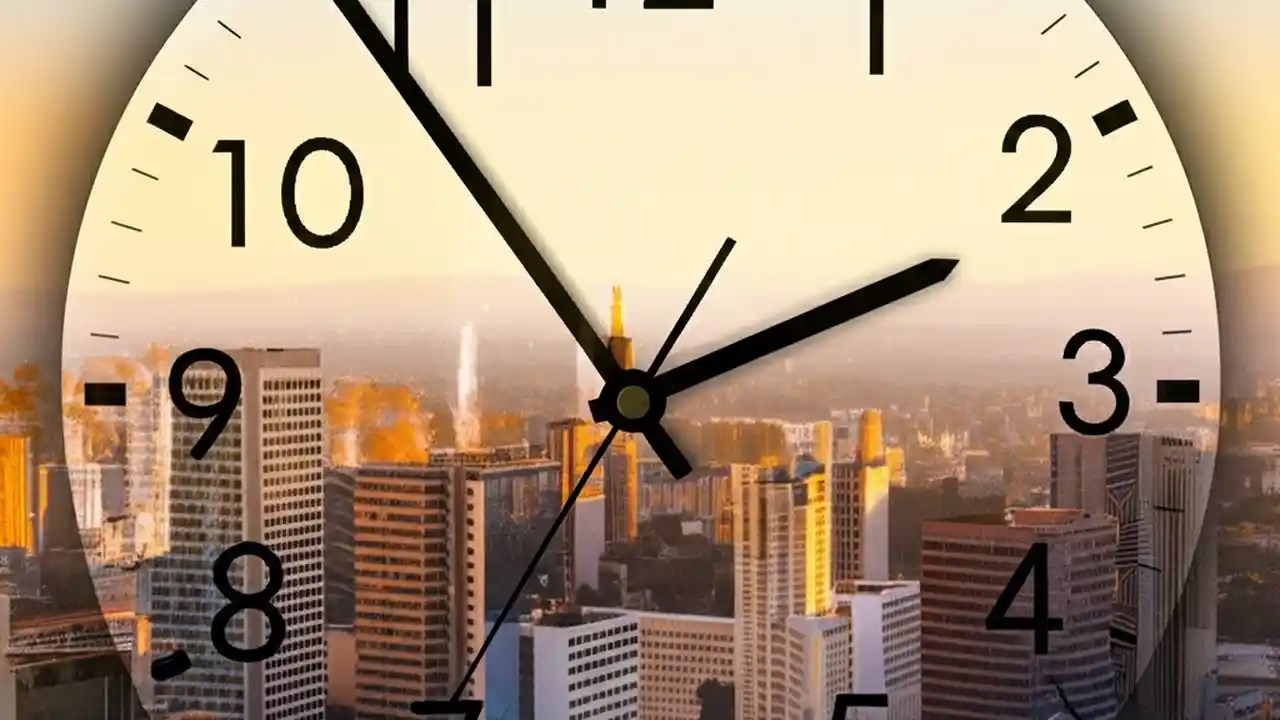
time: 1:53
